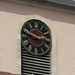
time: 2:48
